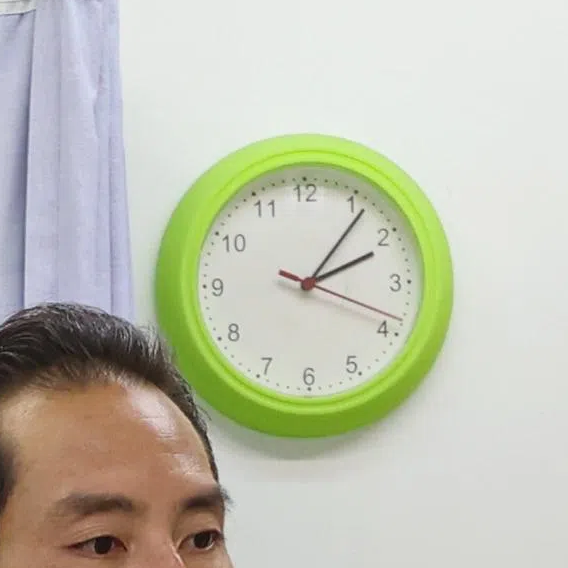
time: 2:06
